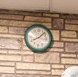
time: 8:07
